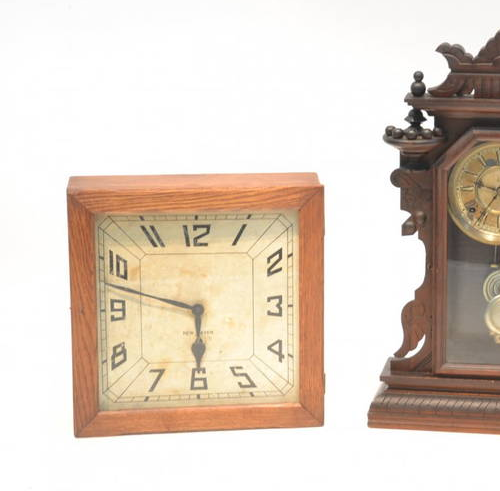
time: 5:47
